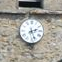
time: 2:26
